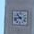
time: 10:42
